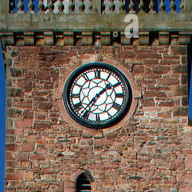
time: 1:36
